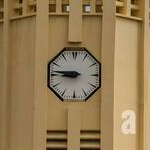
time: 8:46
